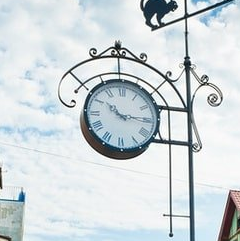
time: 10:14
